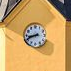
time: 8:41
